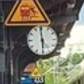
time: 5:59
